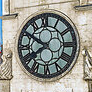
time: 7:50
